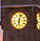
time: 6:03
